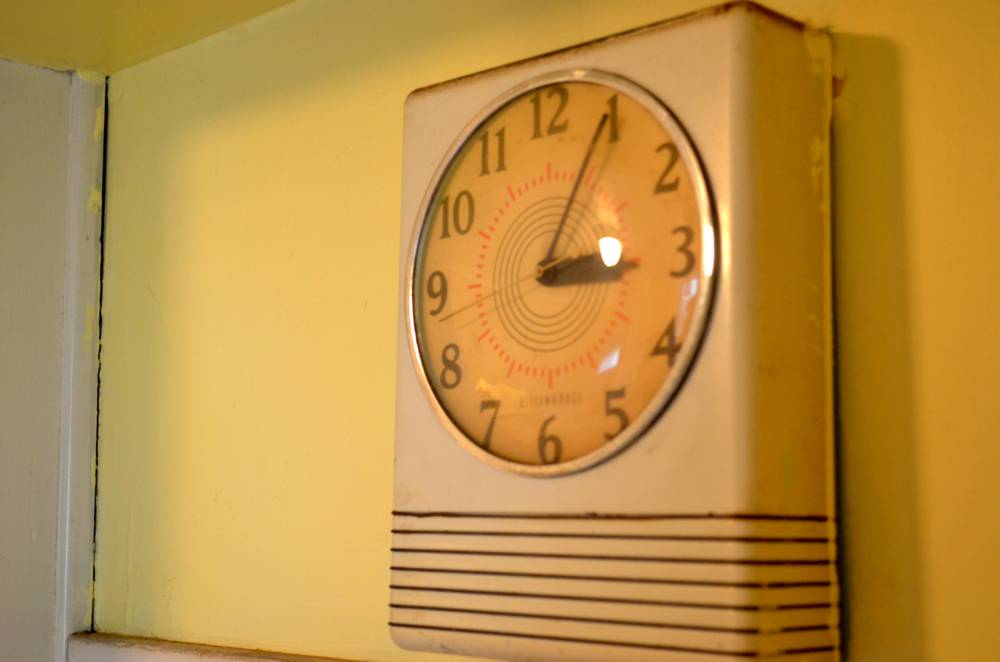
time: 3:04
